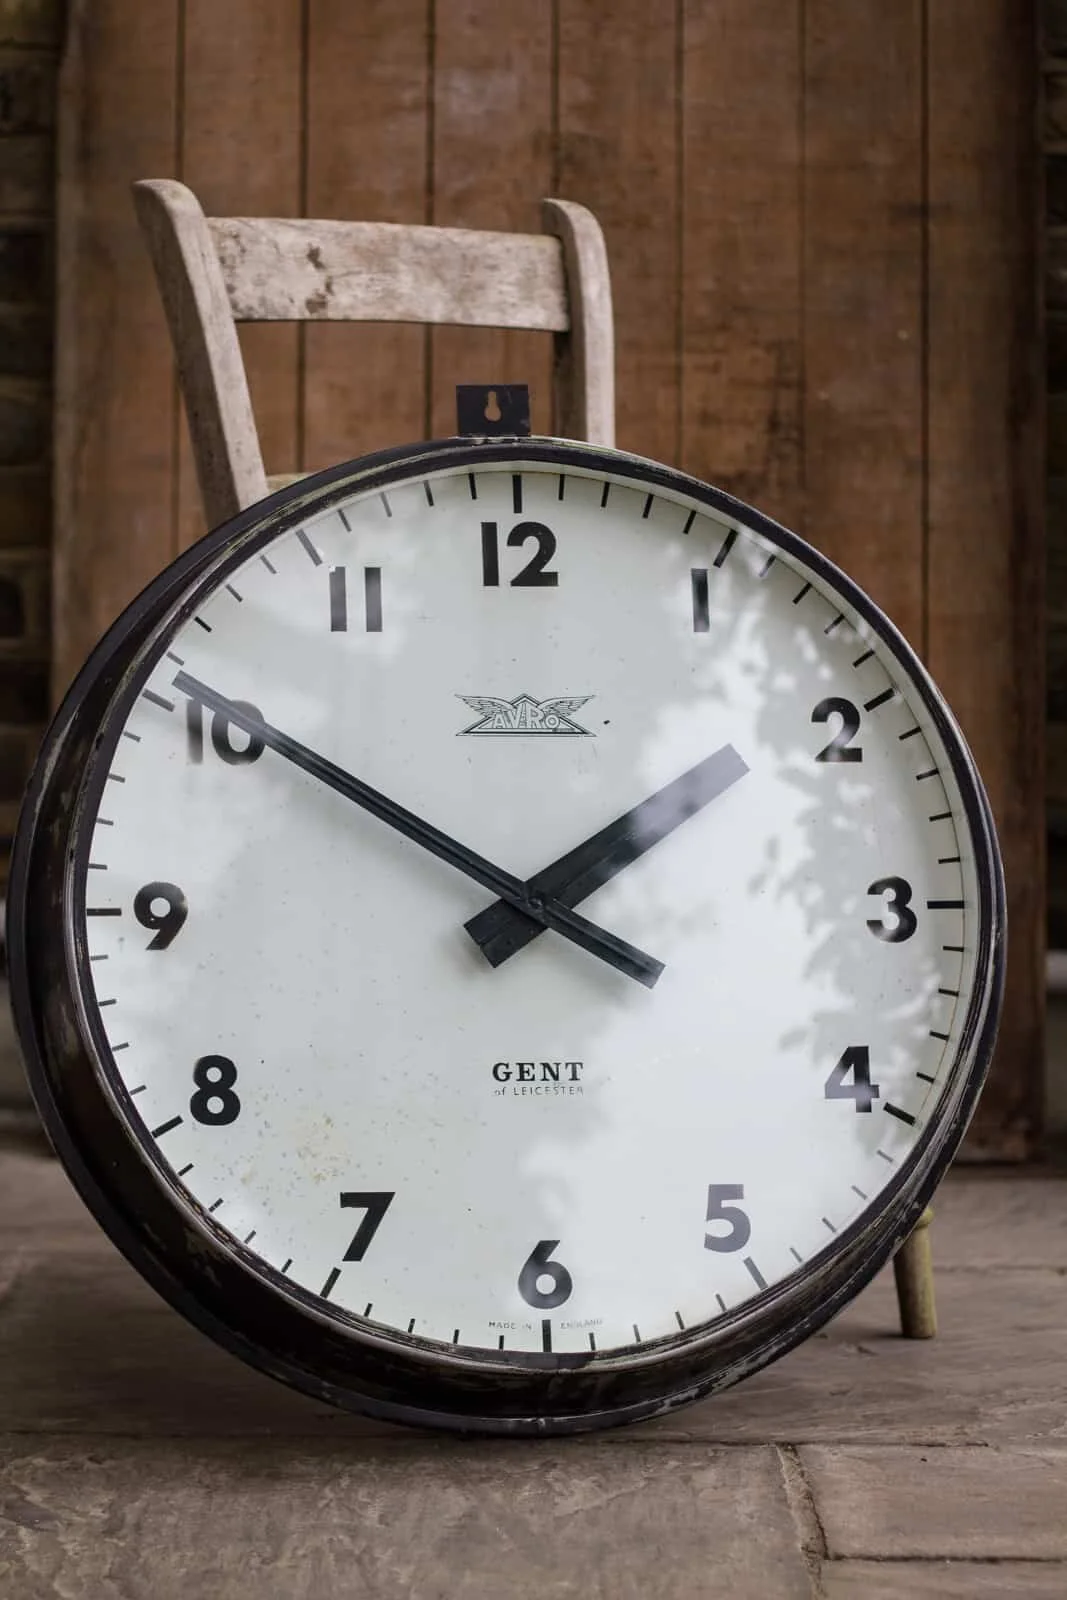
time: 1:50
